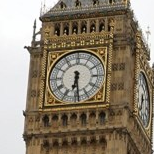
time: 6:29
